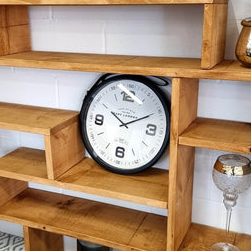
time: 10:10
